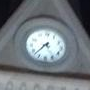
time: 7:37
